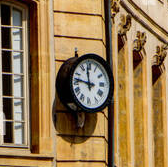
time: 11:46
